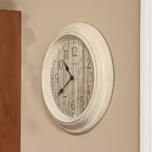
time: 10:39
